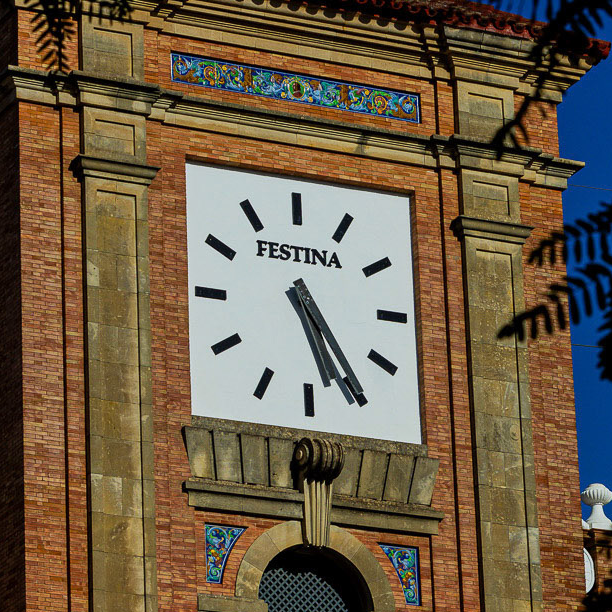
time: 5:24
